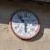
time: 5:51
